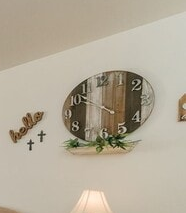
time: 5:51
